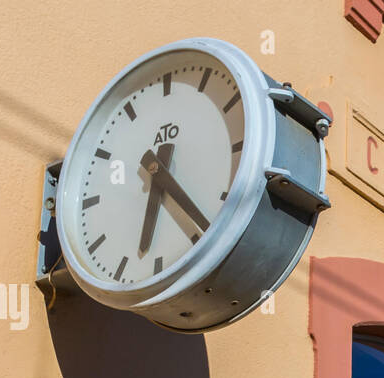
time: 6:23
